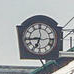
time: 6:43
